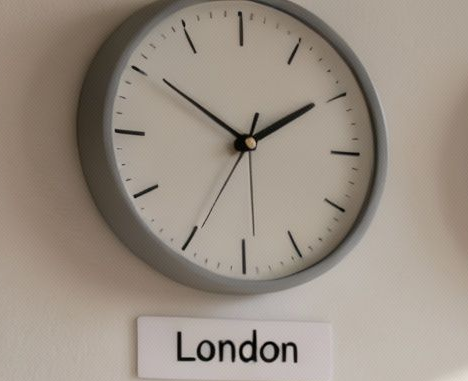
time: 1:50
